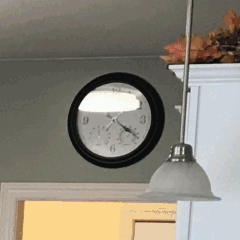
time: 4:20
